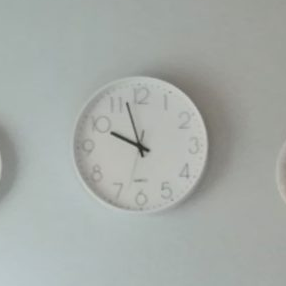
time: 9:57
